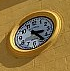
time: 3:23
